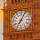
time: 7:04
